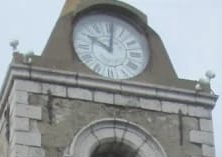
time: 10:00
